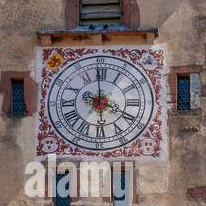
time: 3:58
